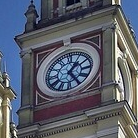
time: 1:24
